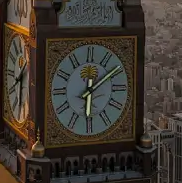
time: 6:08
